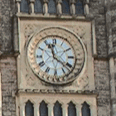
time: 11:21
